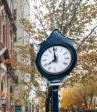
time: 7:58
